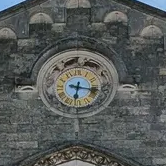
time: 6:17
